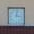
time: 3:01
